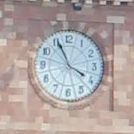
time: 3:55
